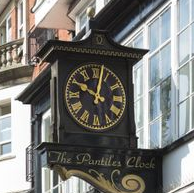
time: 10:02
